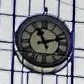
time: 11:12
